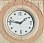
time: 1:46
